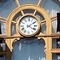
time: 4:09
